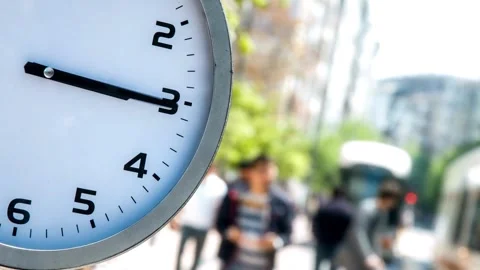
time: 3:15
